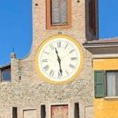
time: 11:28
